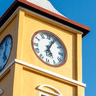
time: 5:04
